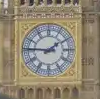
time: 1:46
